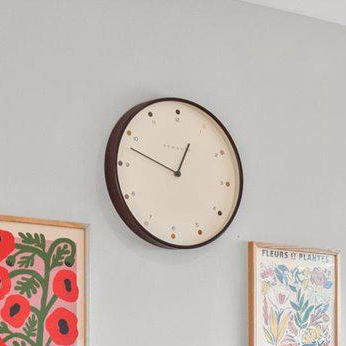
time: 12:47
